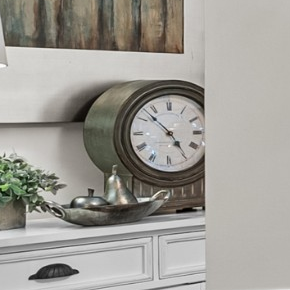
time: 4:52
